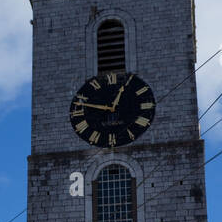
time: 12:47
